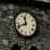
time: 11:41
